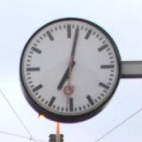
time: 7:02
